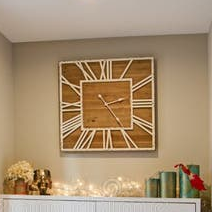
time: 2:24
